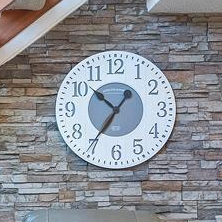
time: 10:35
